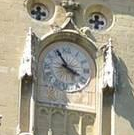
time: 3:55
